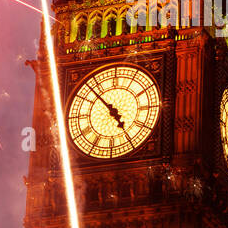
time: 4:52
